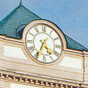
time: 4:34
